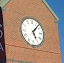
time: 5:07
